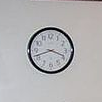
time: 3:42
